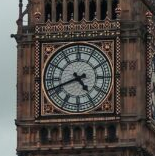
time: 4:41
